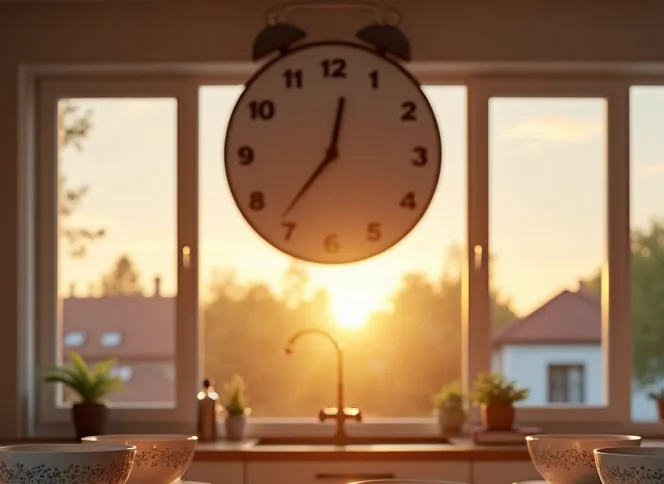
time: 12:36
